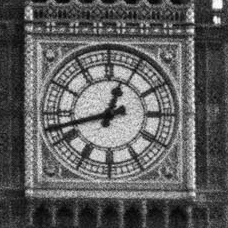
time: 12:42
